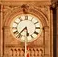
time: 5:36
